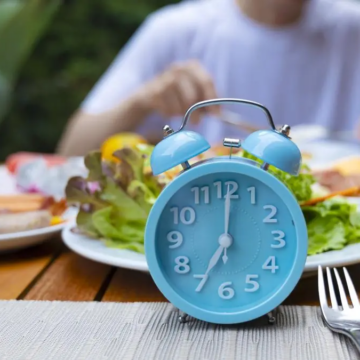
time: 7:00
